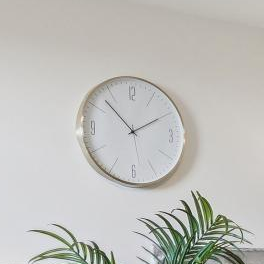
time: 1:52
